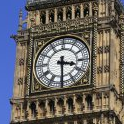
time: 3:29
